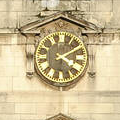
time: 4:09
